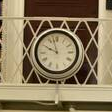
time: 9:57
